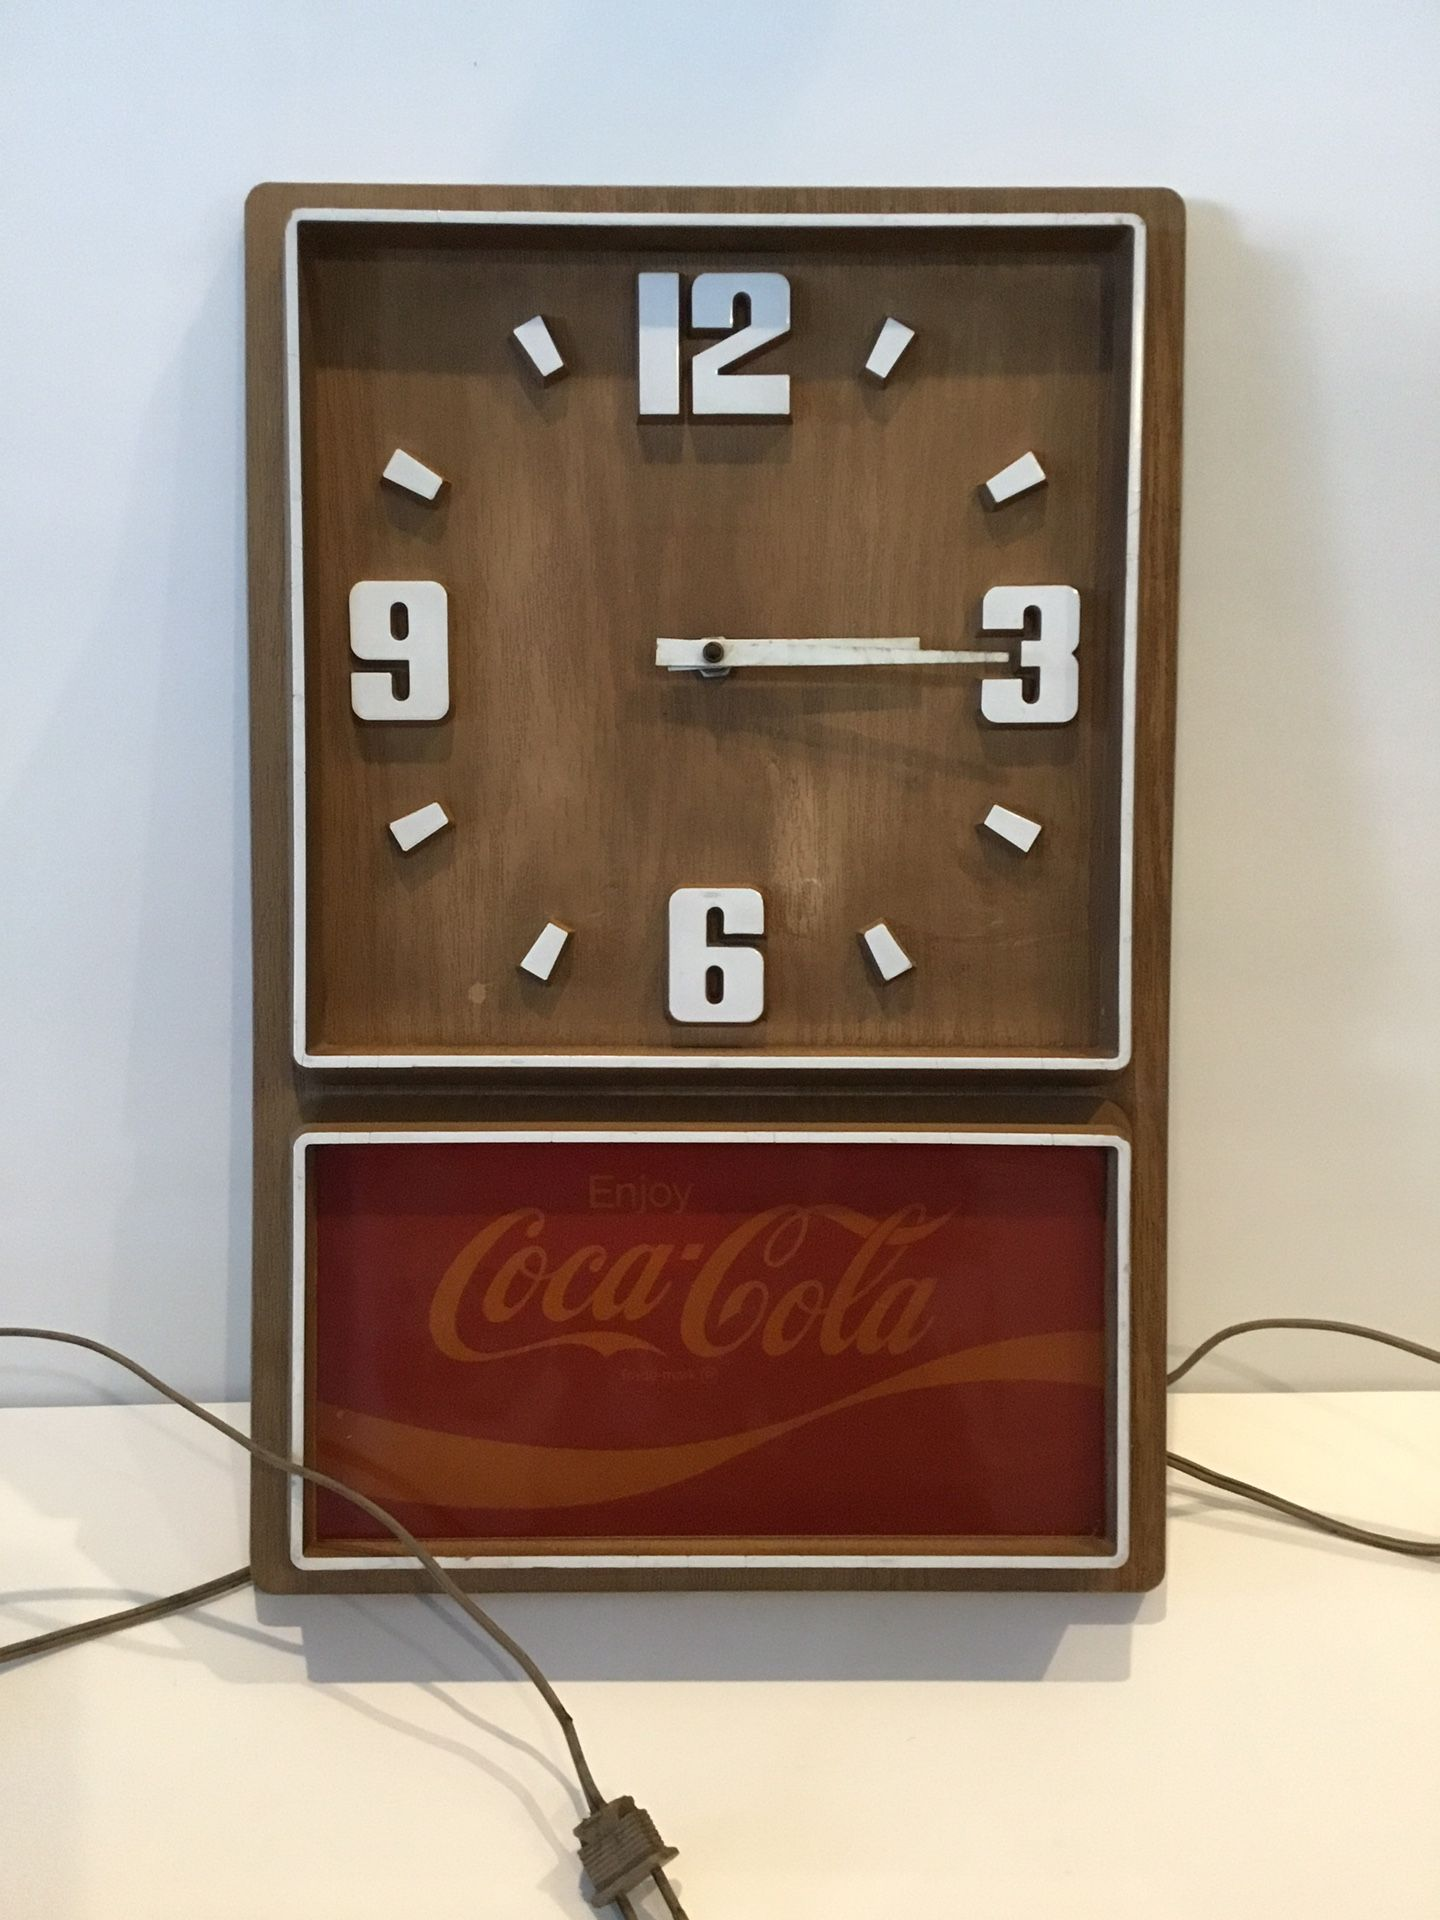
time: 3:14
